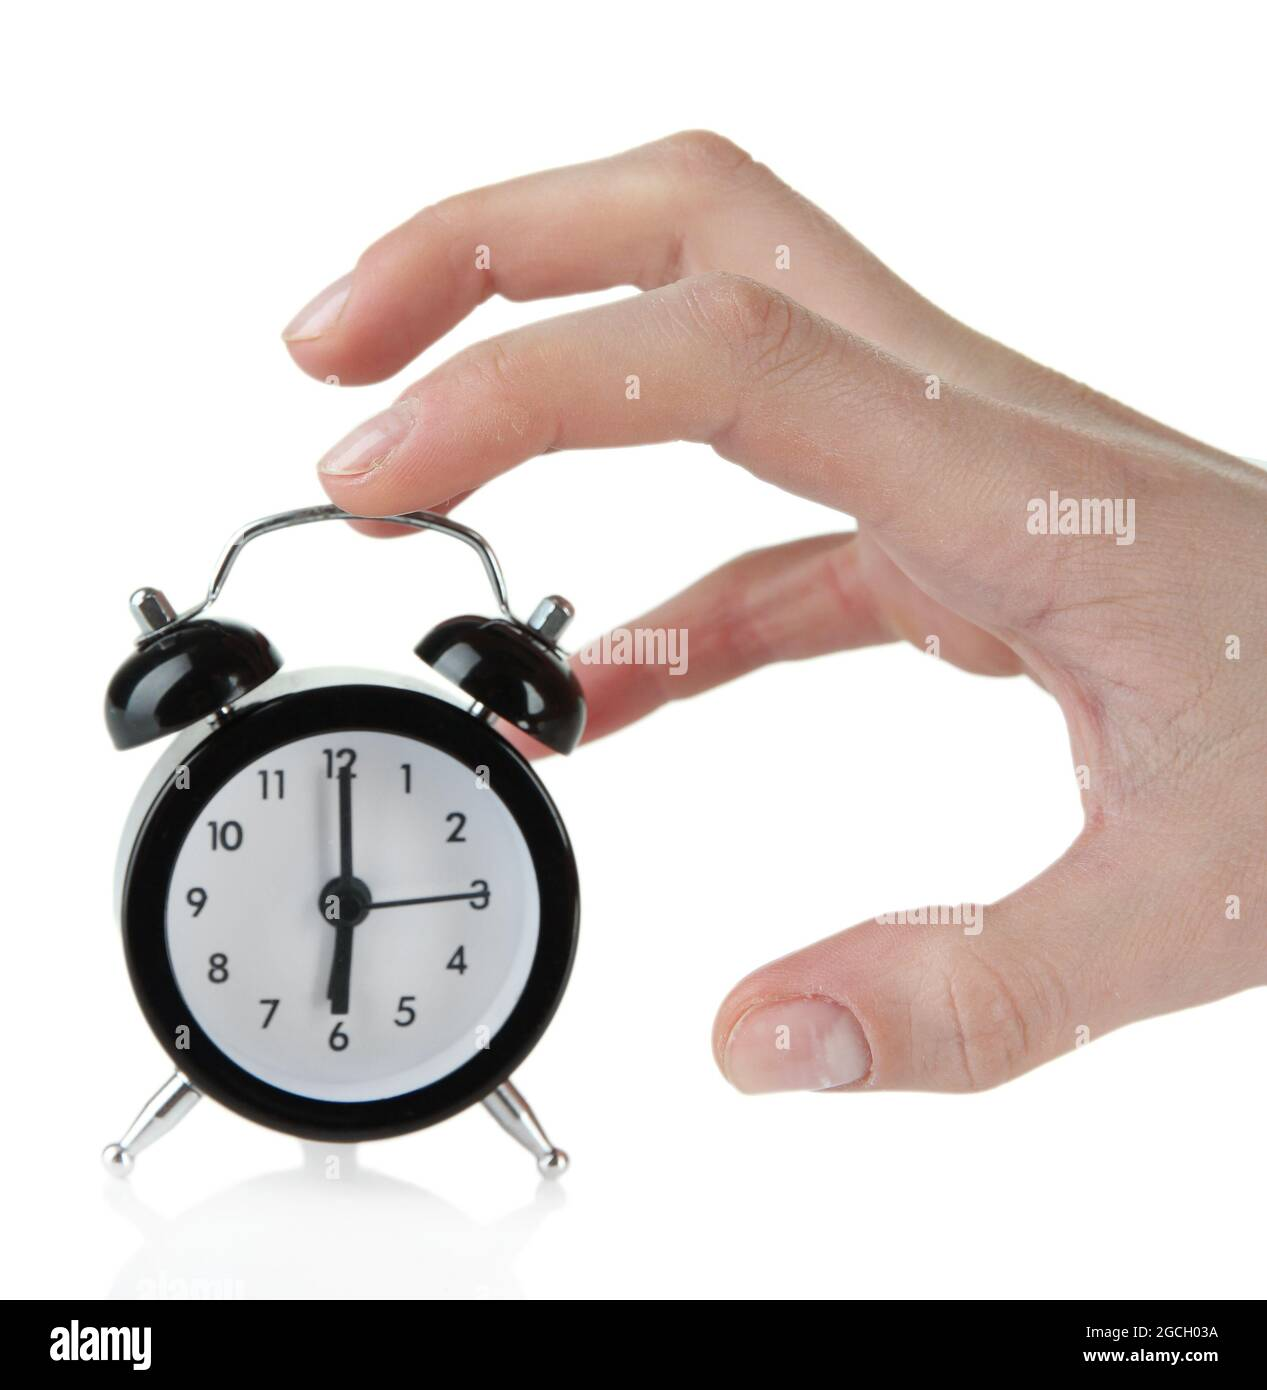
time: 6:00
